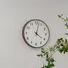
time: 4:02
